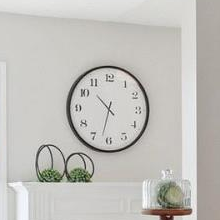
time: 10:32
